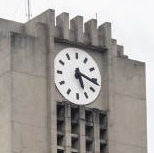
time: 5:16
